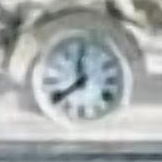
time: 11:38
